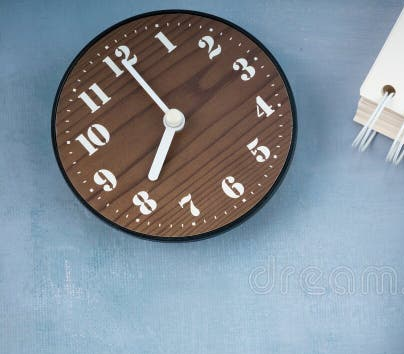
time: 6:55
